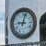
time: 9:01
